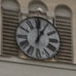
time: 12:05
